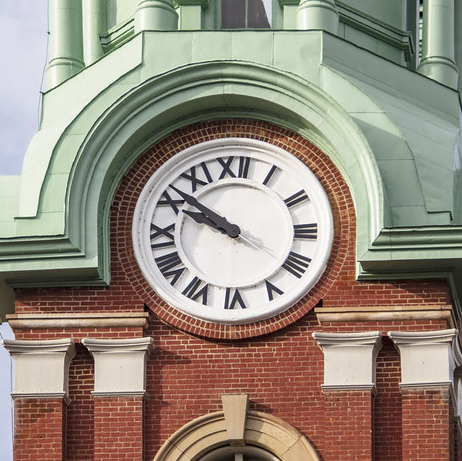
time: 9:51
